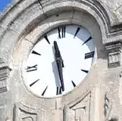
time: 11:28
